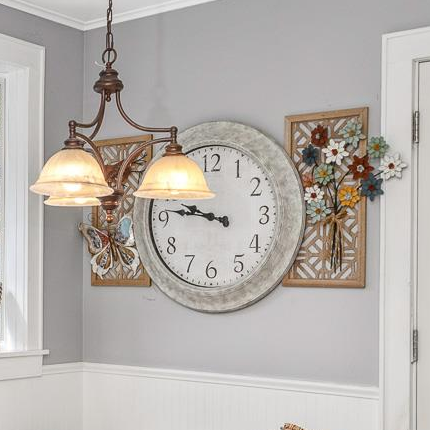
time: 9:46
